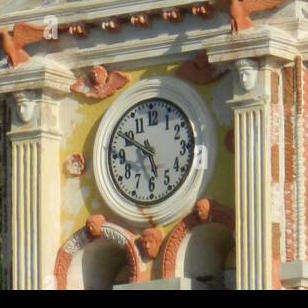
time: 5:49
